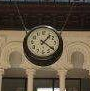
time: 1:21
